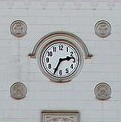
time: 2:34
